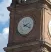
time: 2:18
